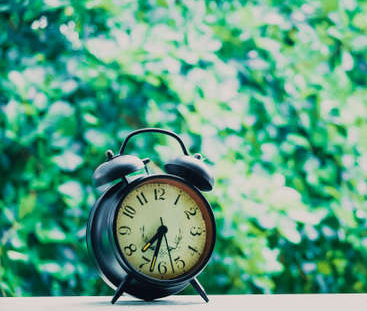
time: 7:32
